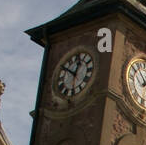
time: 12:50
